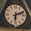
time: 6:11
